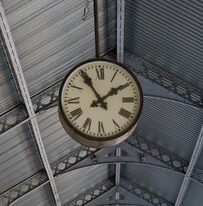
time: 1:54
